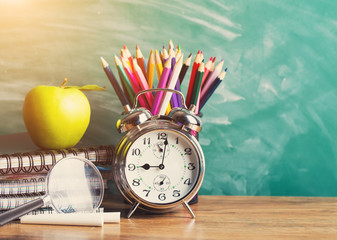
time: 9:01
